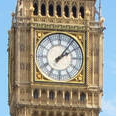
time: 2:06
